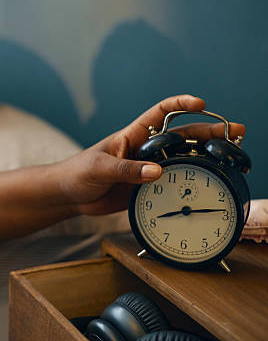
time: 8:13
